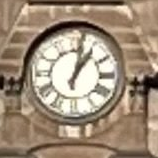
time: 1:02
